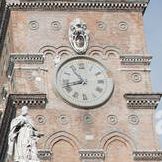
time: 10:42
